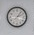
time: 2:06
